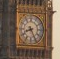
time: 8:25
